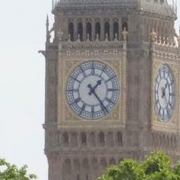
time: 1:23
